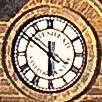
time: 5:50
